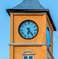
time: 6:23
